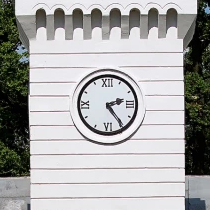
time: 2:24
